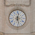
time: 12:27
